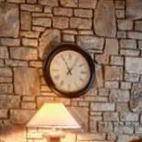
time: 11:05
